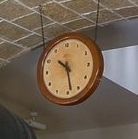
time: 10:28
